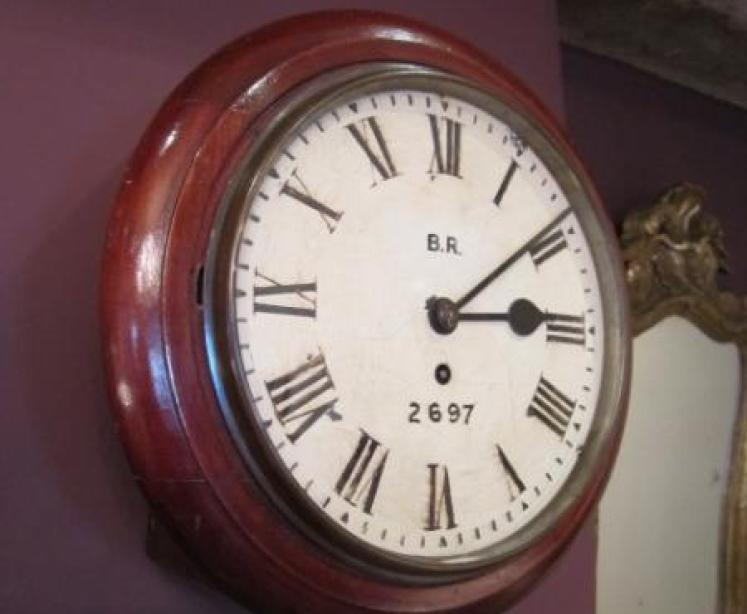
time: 3:08
